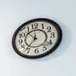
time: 10:36
